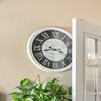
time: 3:43
